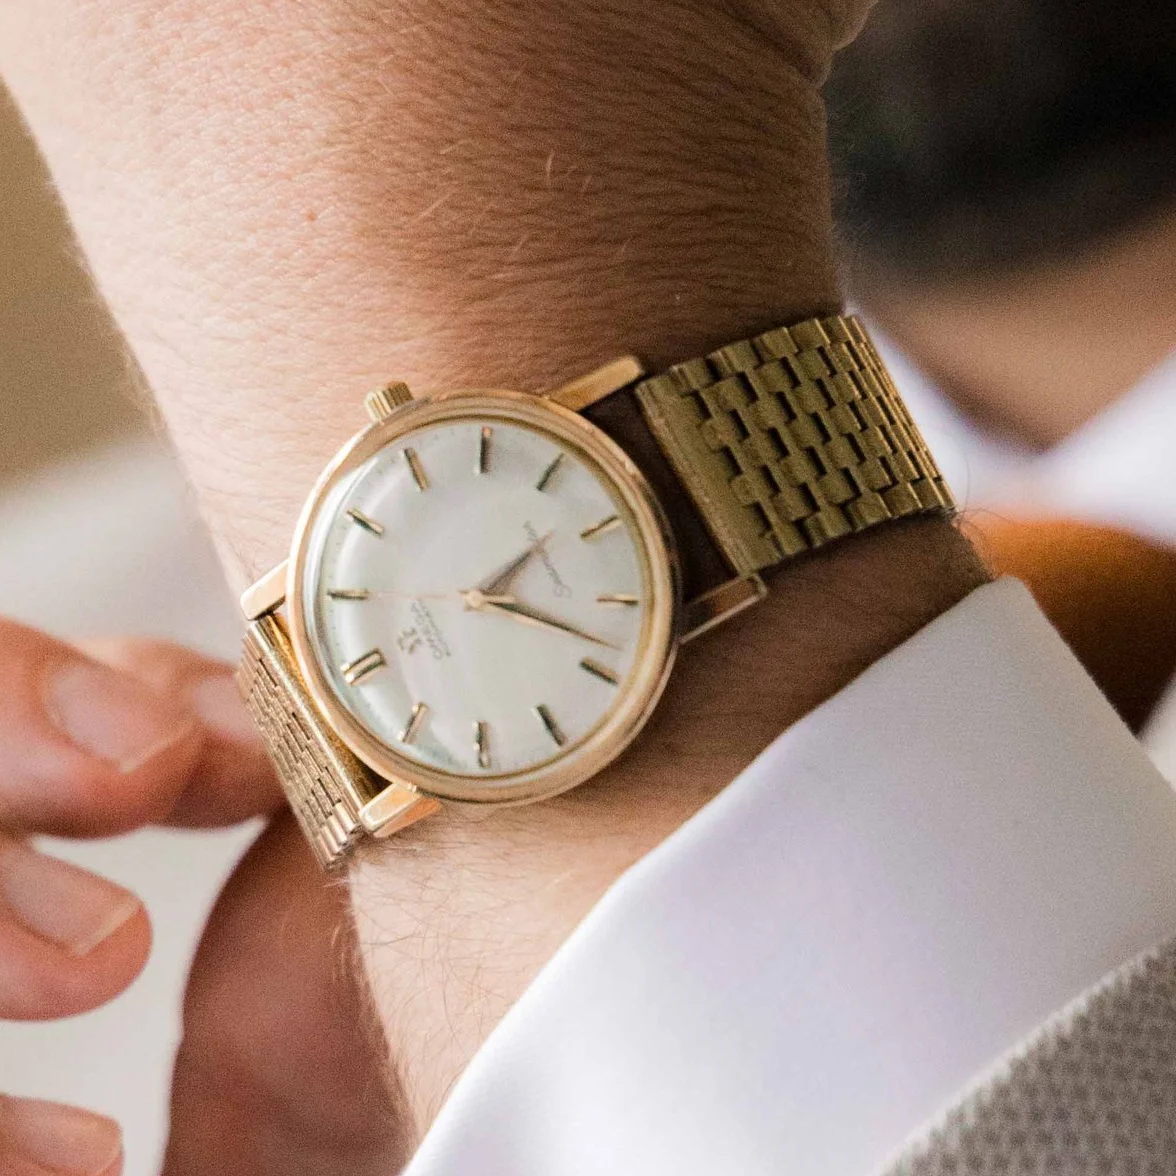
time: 2:18
